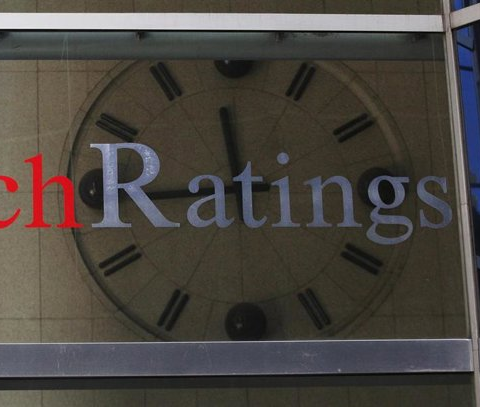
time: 11:45
